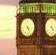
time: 4:26
